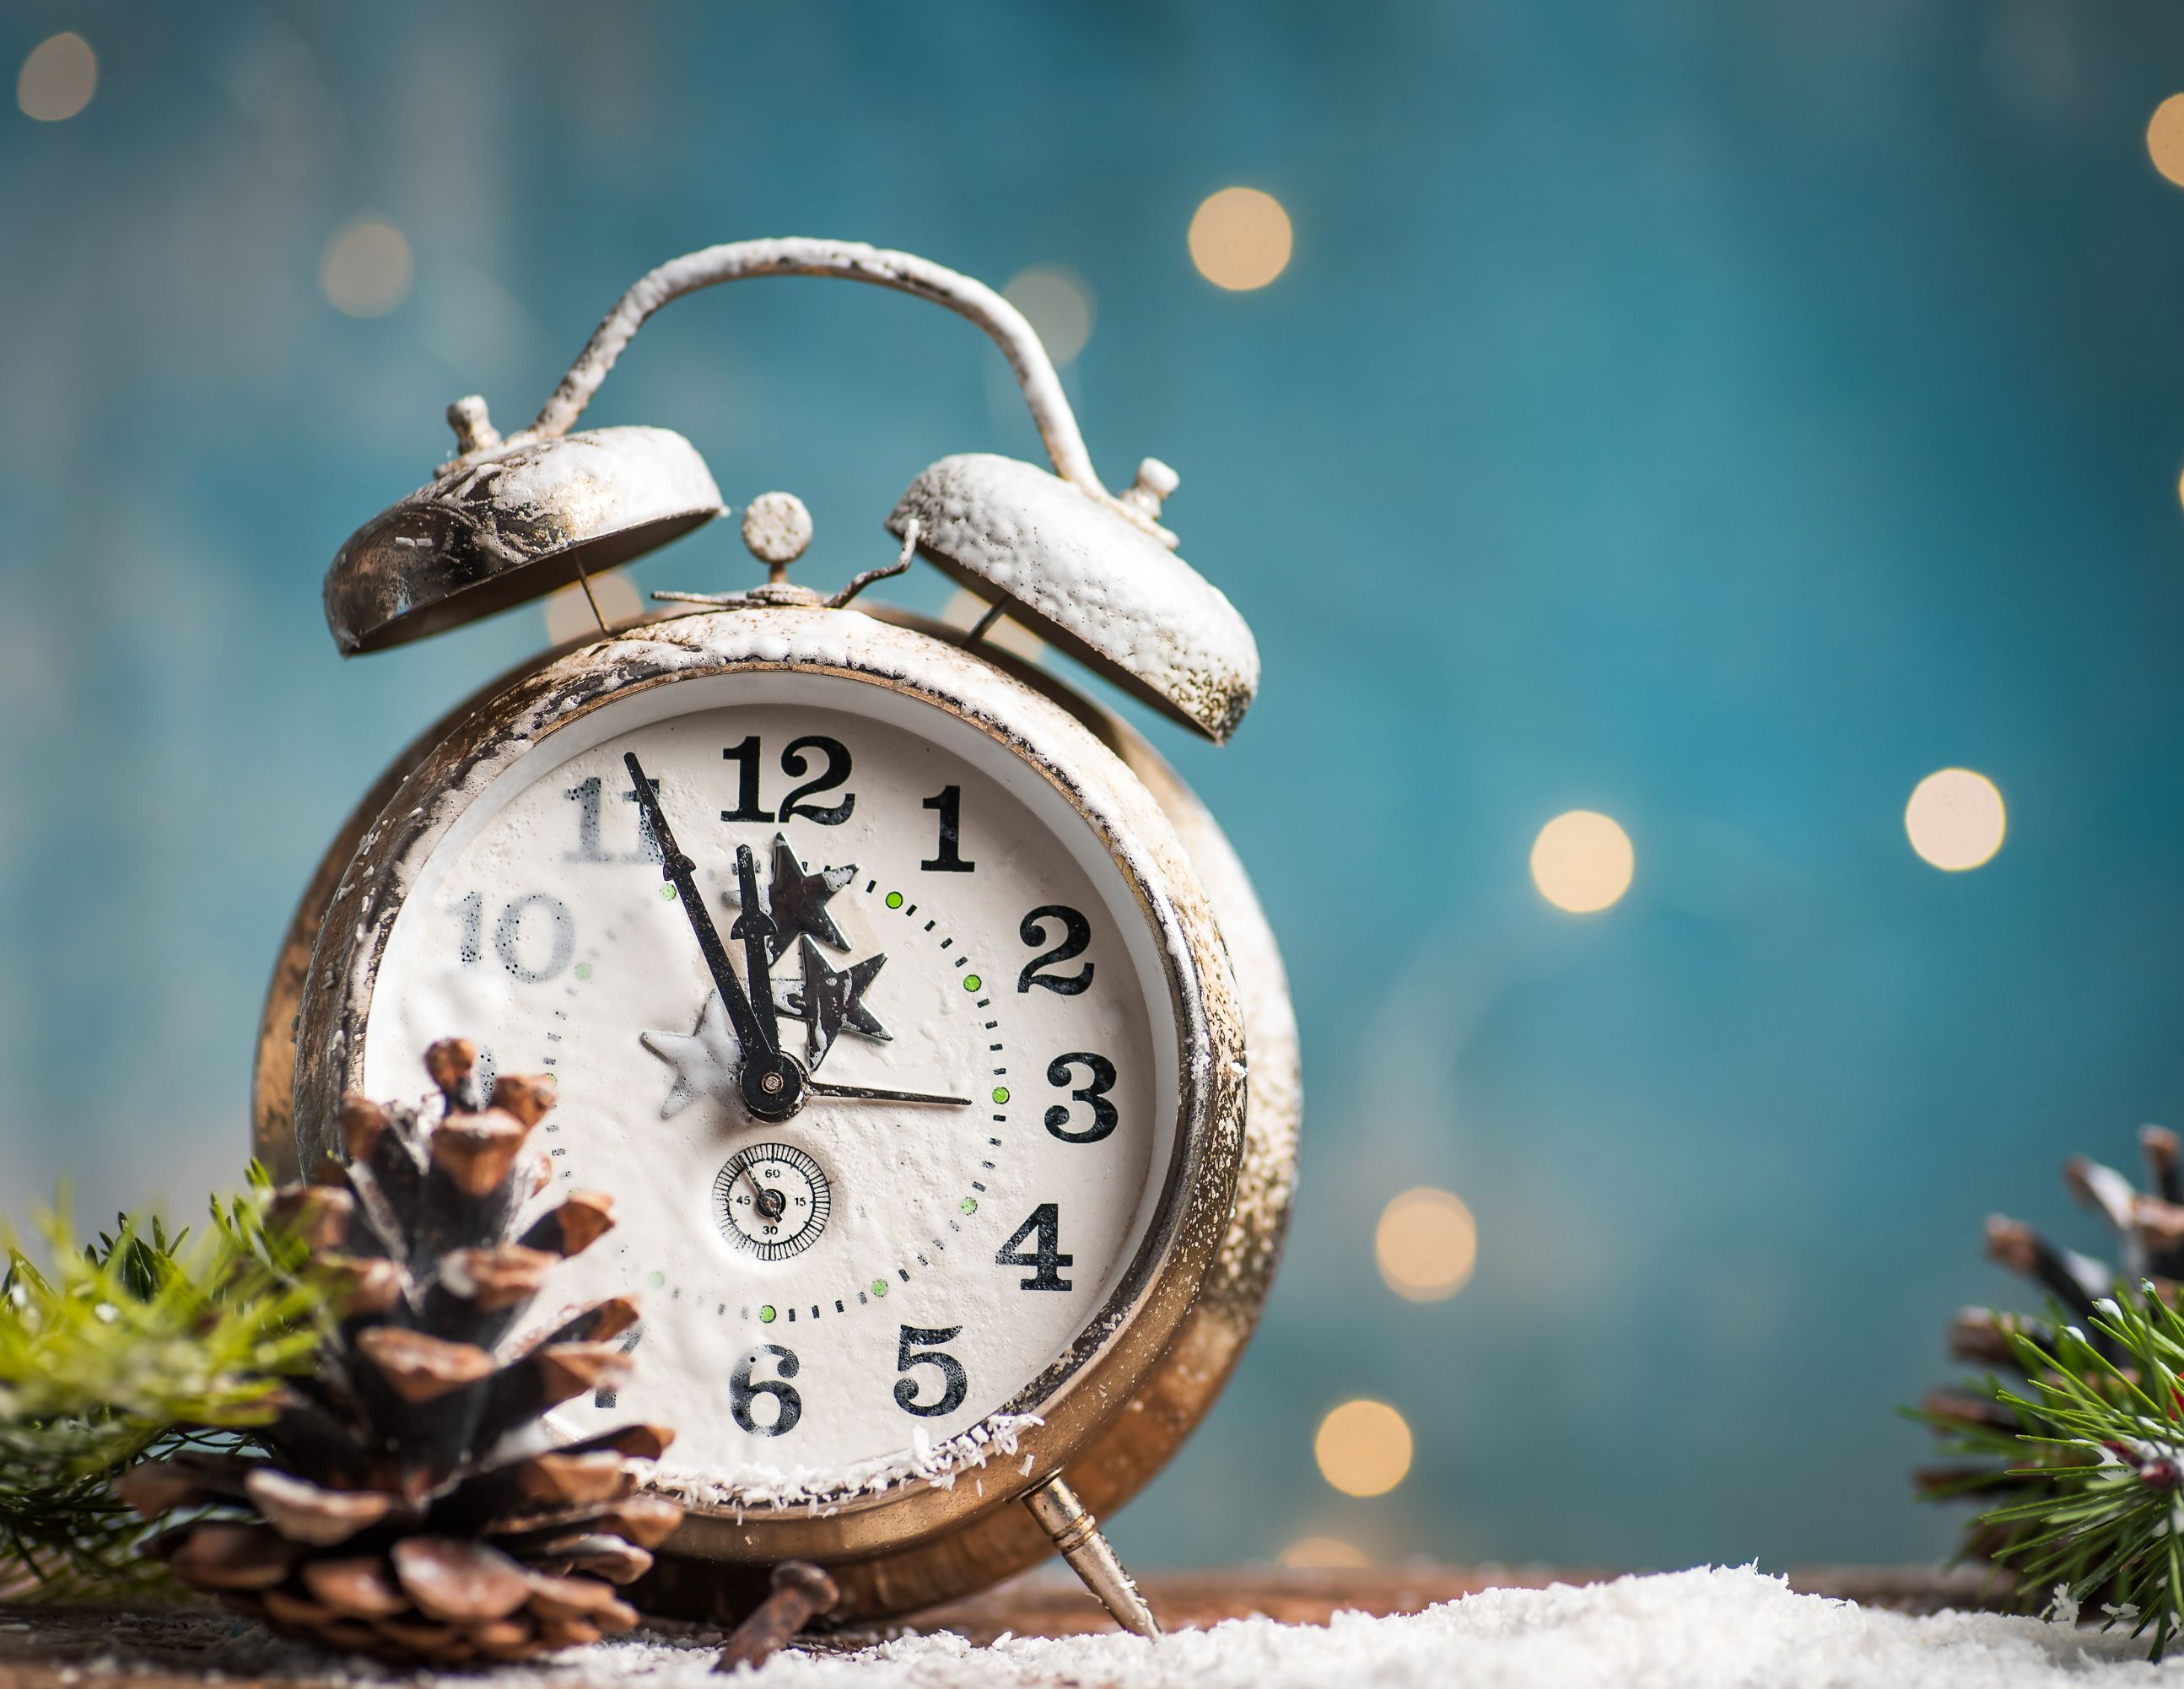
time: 11:55
